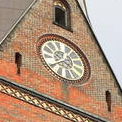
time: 3:40
